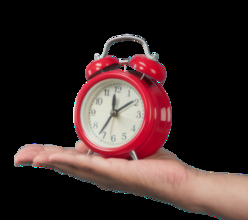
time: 12:09
